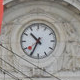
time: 10:34
